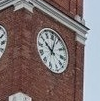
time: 10:02
